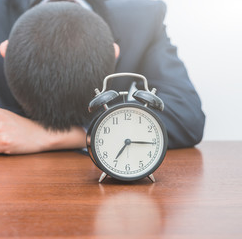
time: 7:15
